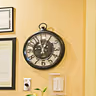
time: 12:04
